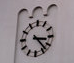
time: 3:22
